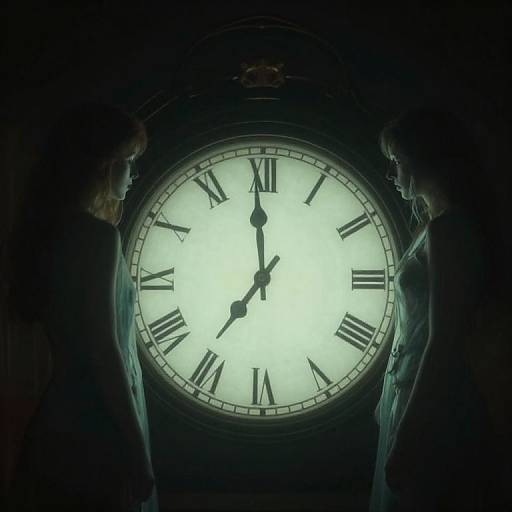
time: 6:59
